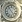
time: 4:53
